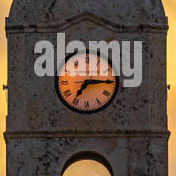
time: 7:15
